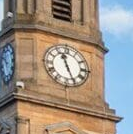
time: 11:25
